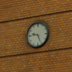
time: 9:26
